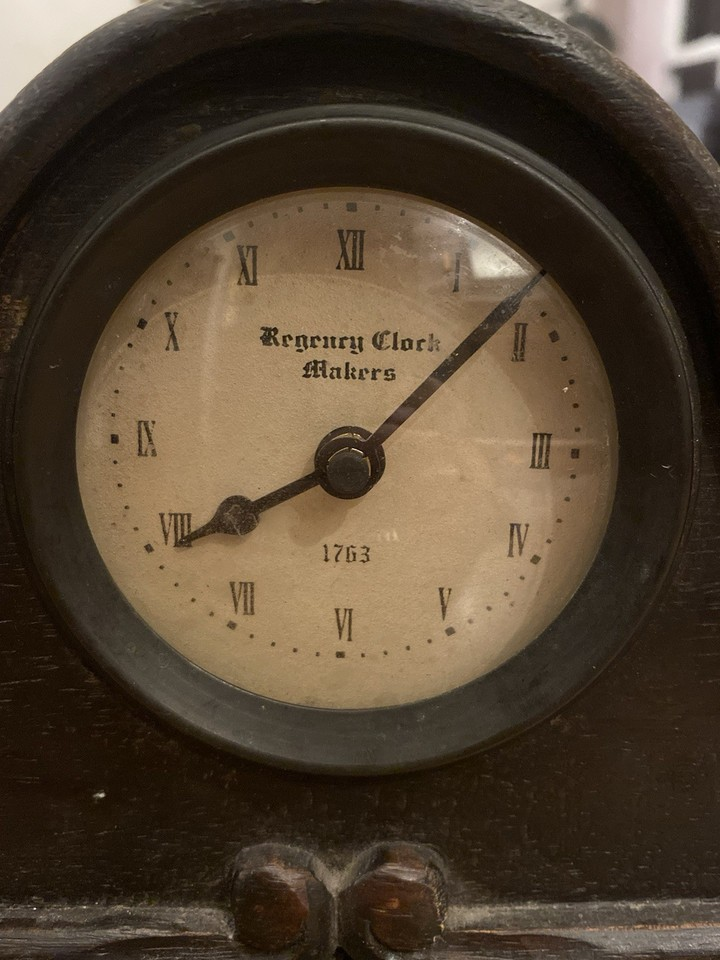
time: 8:07
